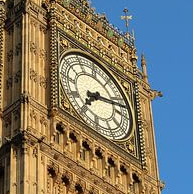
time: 7:12
